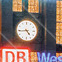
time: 4:44
